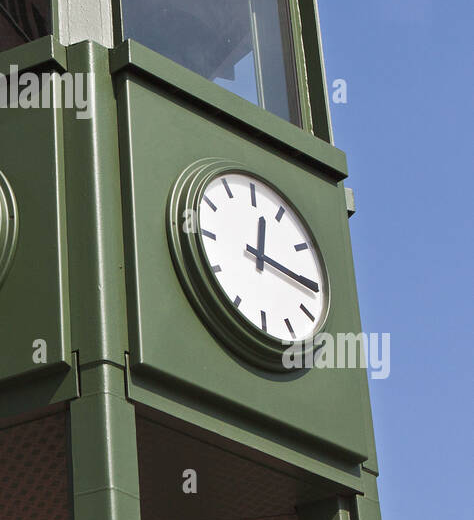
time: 12:15
